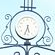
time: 5:33
